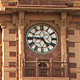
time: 4:45
